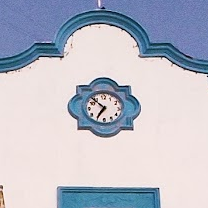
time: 6:53
